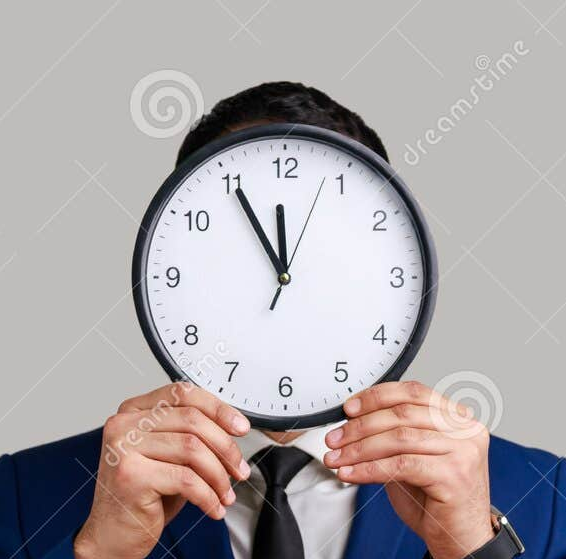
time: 11:54
